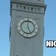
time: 4:59
